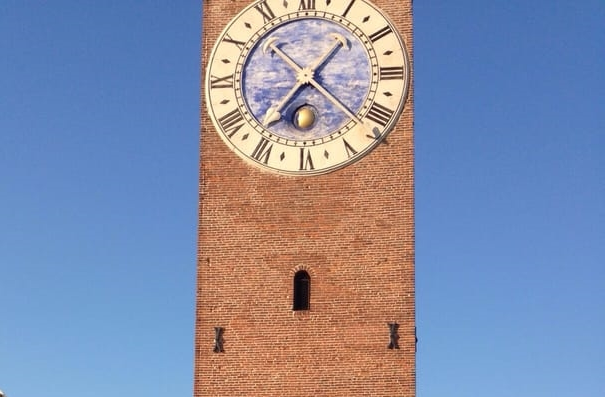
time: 1:36
